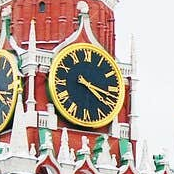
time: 4:17
